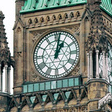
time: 1:02
